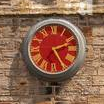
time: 2:25
